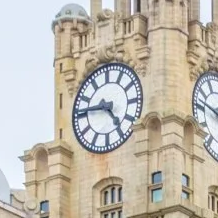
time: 4:45
